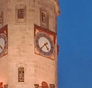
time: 4:37
